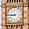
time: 8:45
